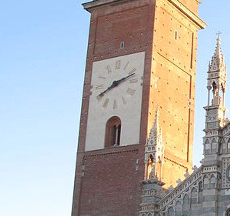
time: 8:12
